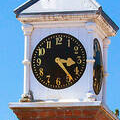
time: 3:23
